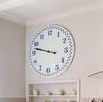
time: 9:47
